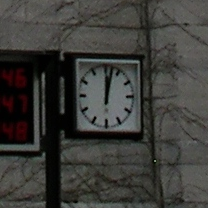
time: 12:02
